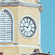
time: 9:05
